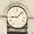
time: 9:07
